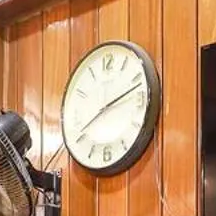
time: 8:12
